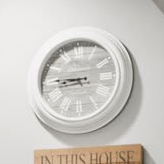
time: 8:45
